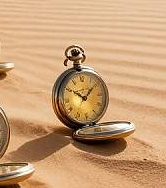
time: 10:07
